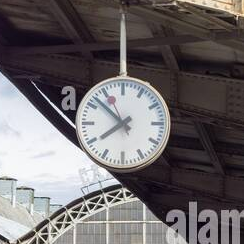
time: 7:51
